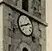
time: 1:40
